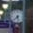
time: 7:27
